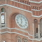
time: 11:32
